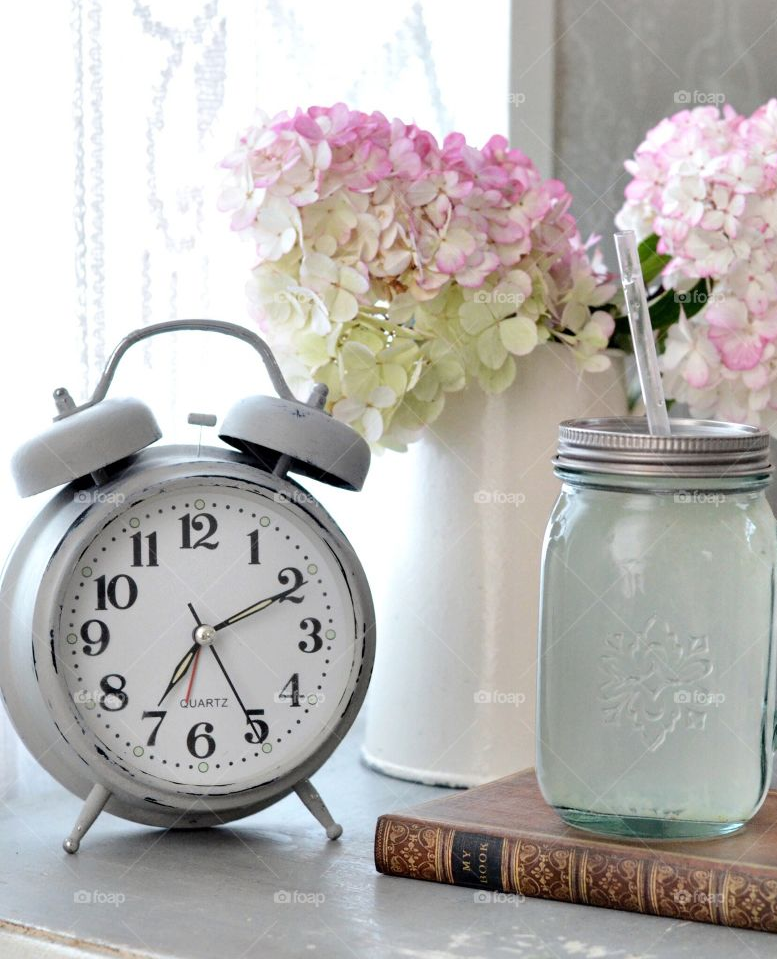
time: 7:10
